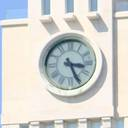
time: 3:25
